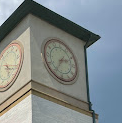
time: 2:35
